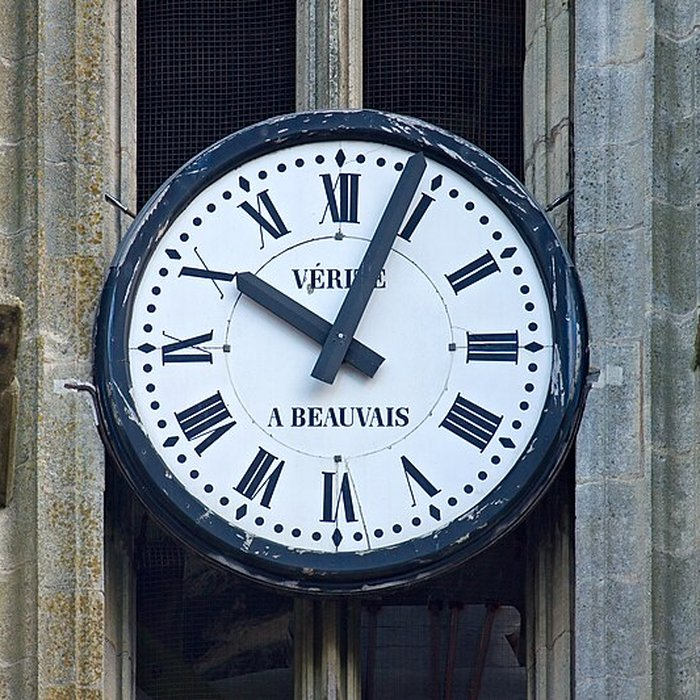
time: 10:03
